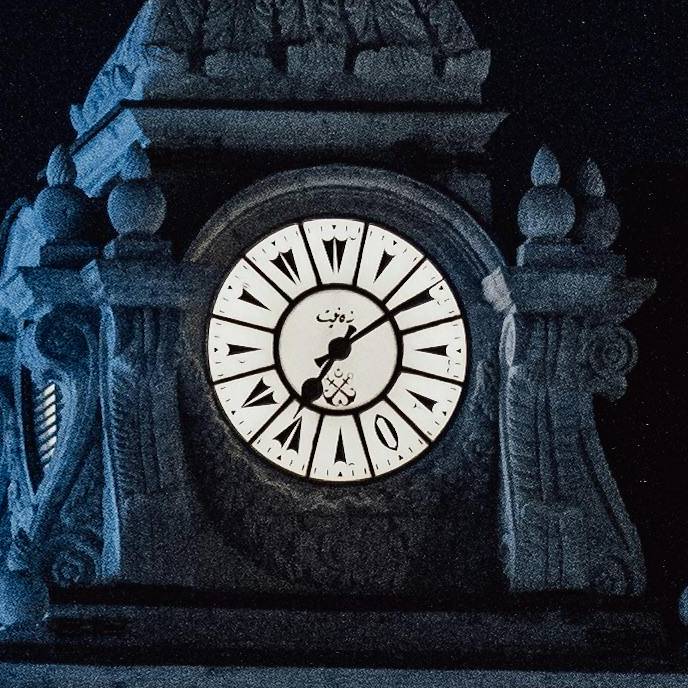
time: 7:09
